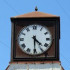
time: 4:30
